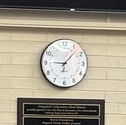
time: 9:07
